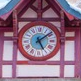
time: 5:08
